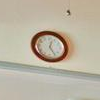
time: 12:24
